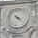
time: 4:22
